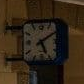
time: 5:09
